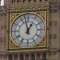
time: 12:58
